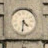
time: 4:31
